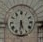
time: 5:31
